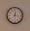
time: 12:16
